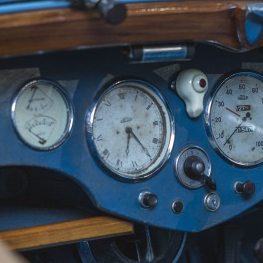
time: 6:24
